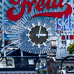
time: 3:02
